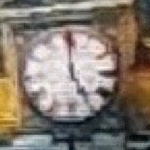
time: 5:00
